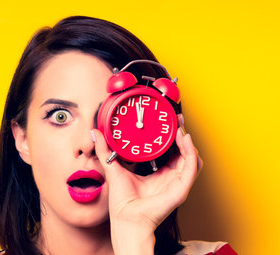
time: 11:57
